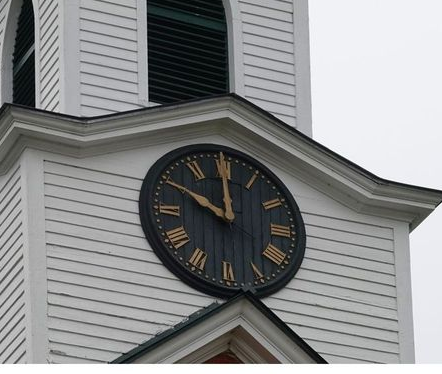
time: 10:00
